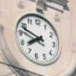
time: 7:48
